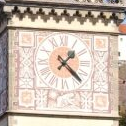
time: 1:22
